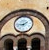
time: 1:43
